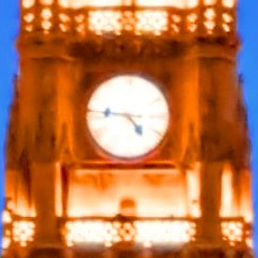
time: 4:46
